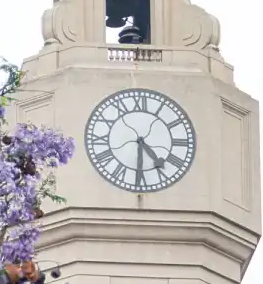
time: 4:30
